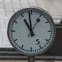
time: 10:59
